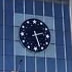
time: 2:26
